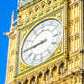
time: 8:44
